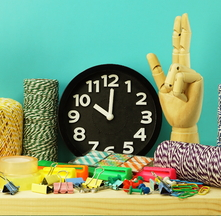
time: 10:00
